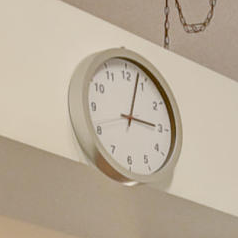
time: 3:02
